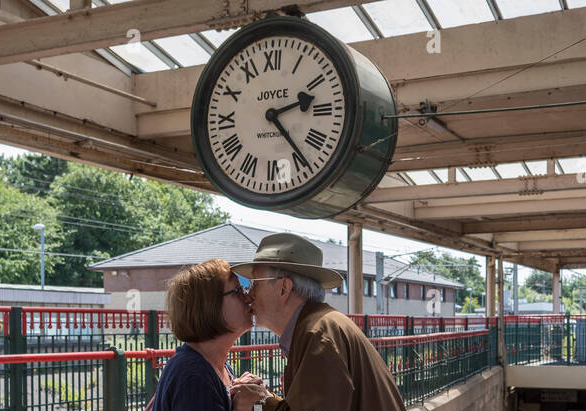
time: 2:23
